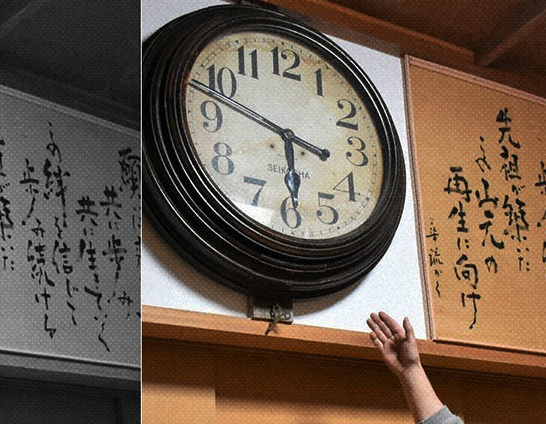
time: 5:47
